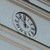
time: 11:52
